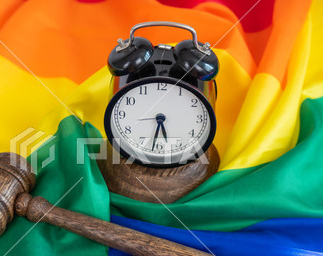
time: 5:31
